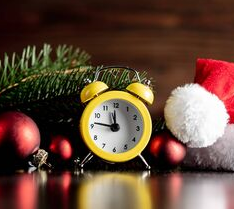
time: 11:46
